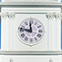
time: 11:46
